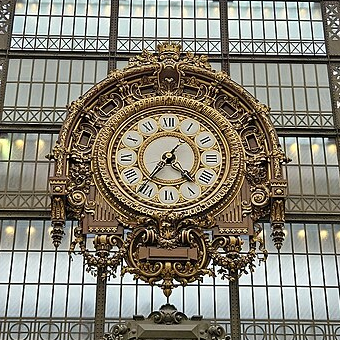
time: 4:35
